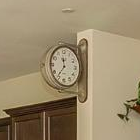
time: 11:36
